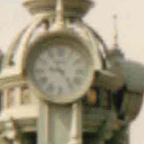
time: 9:23
